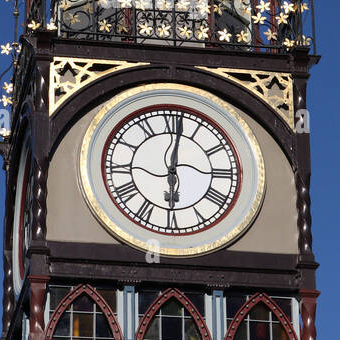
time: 6:01
